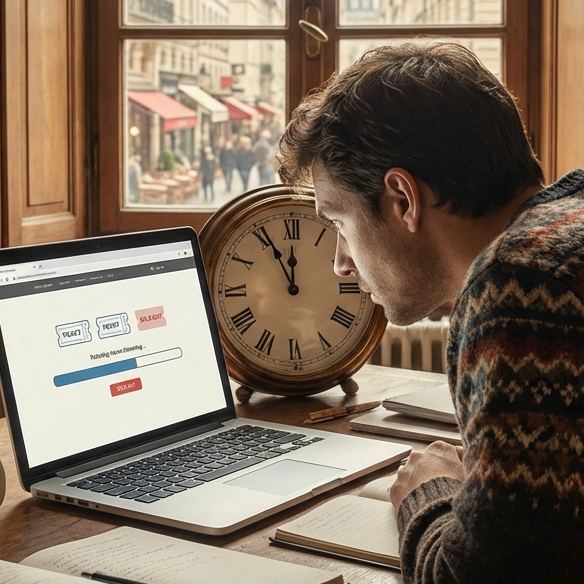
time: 11:55
